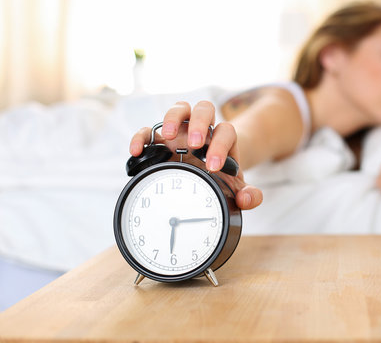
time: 6:14
